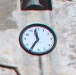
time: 11:35
